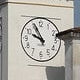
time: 9:55
